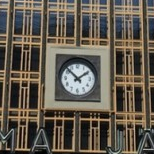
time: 1:52
